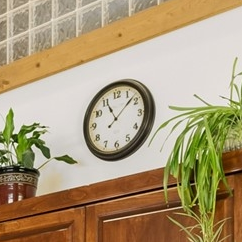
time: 11:07
